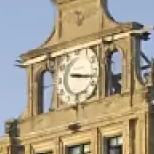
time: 3:17
